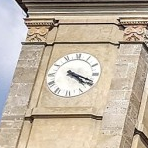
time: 4:18
